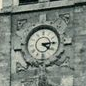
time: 4:14
